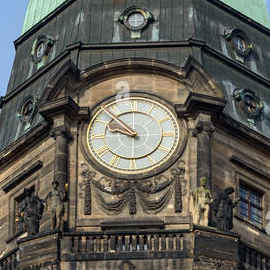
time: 9:53
